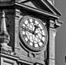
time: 12:46
